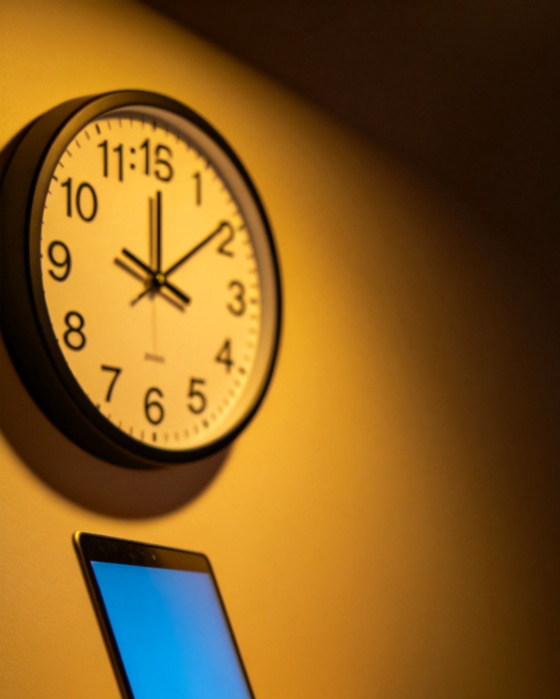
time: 12:08
